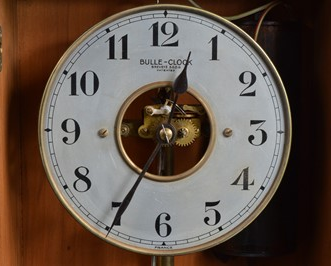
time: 12:34
